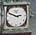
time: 2:48
